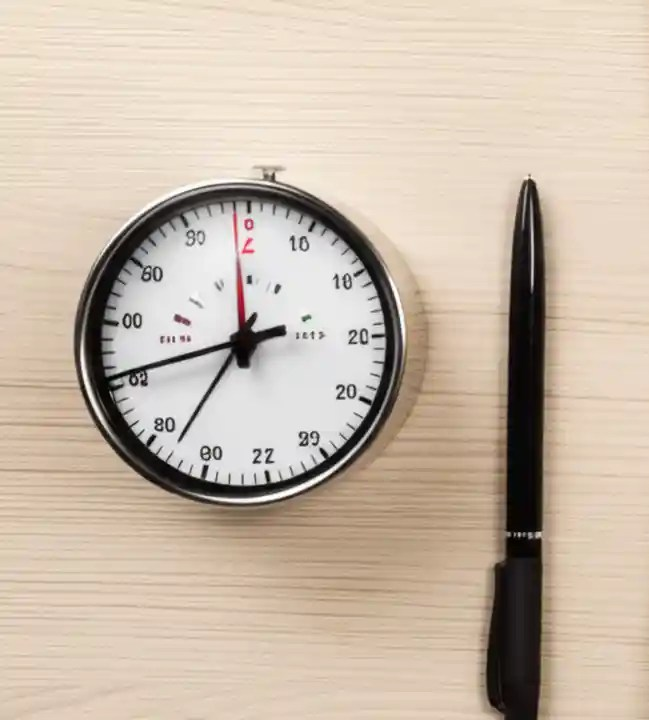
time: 2:40
